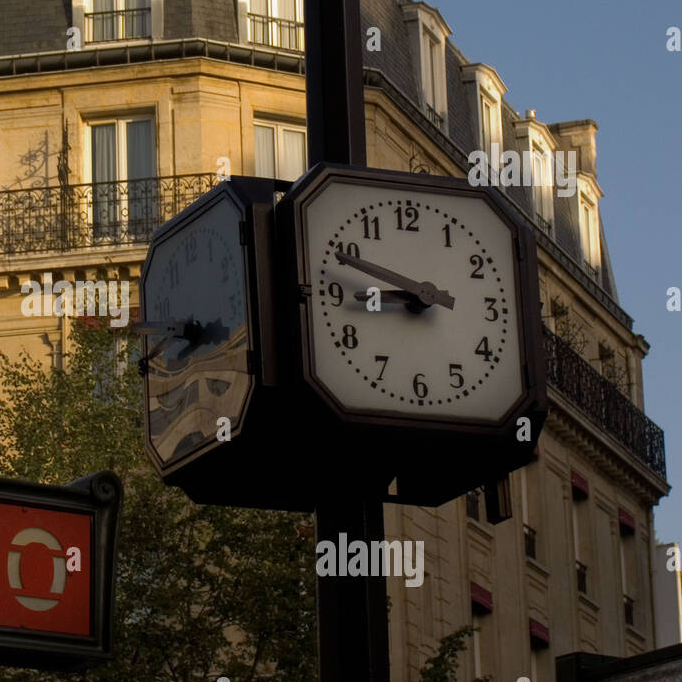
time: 8:48
